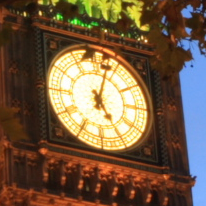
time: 5:02
